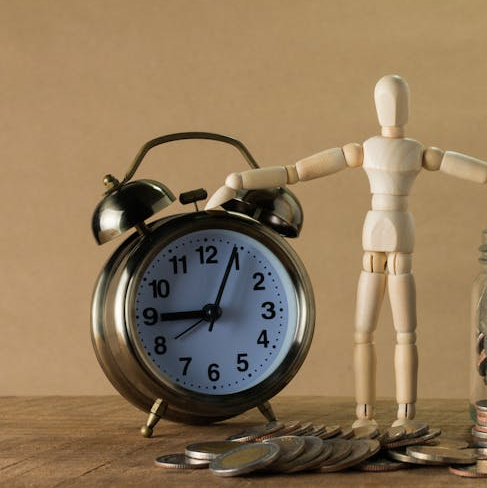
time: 9:04
